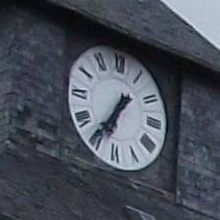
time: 6:35
